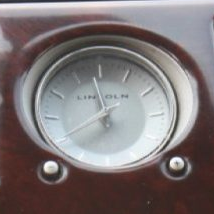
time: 7:58
